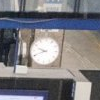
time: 9:41
